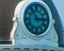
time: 2:54
